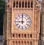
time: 8:59
